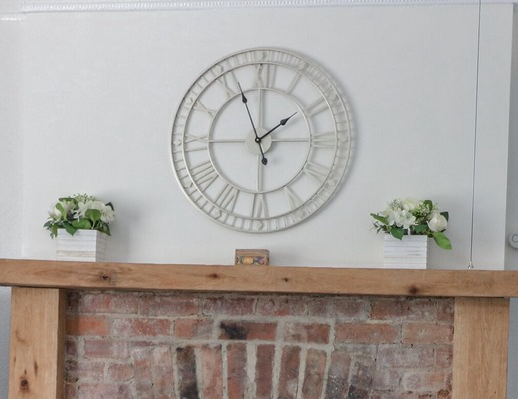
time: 1:56
